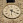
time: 6:20
